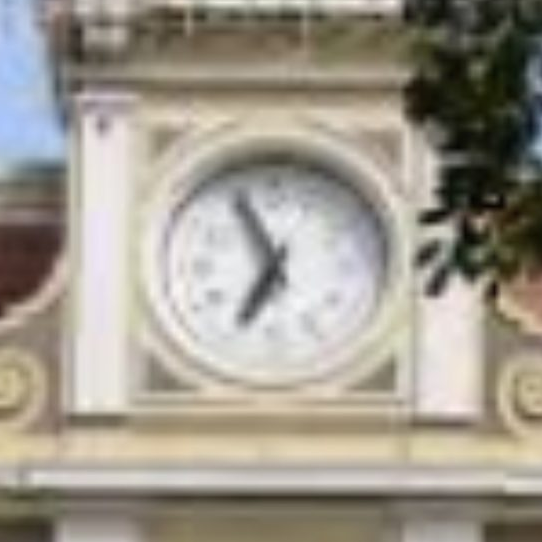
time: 6:56
